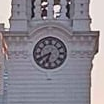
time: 6:40
